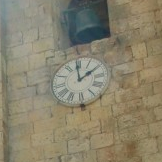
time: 1:59
